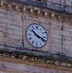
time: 10:18
